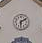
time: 6:10
